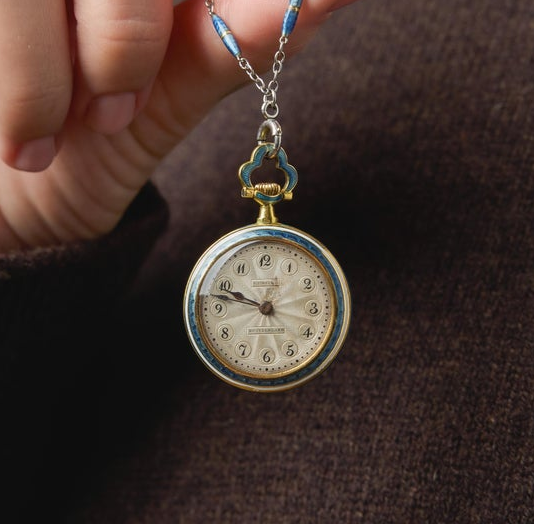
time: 9:47
